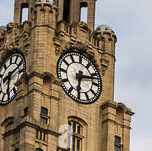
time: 6:12
